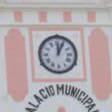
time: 12:04
